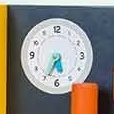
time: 5:34
